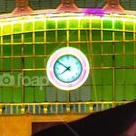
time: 7:50
